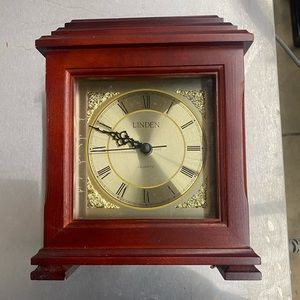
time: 9:48
